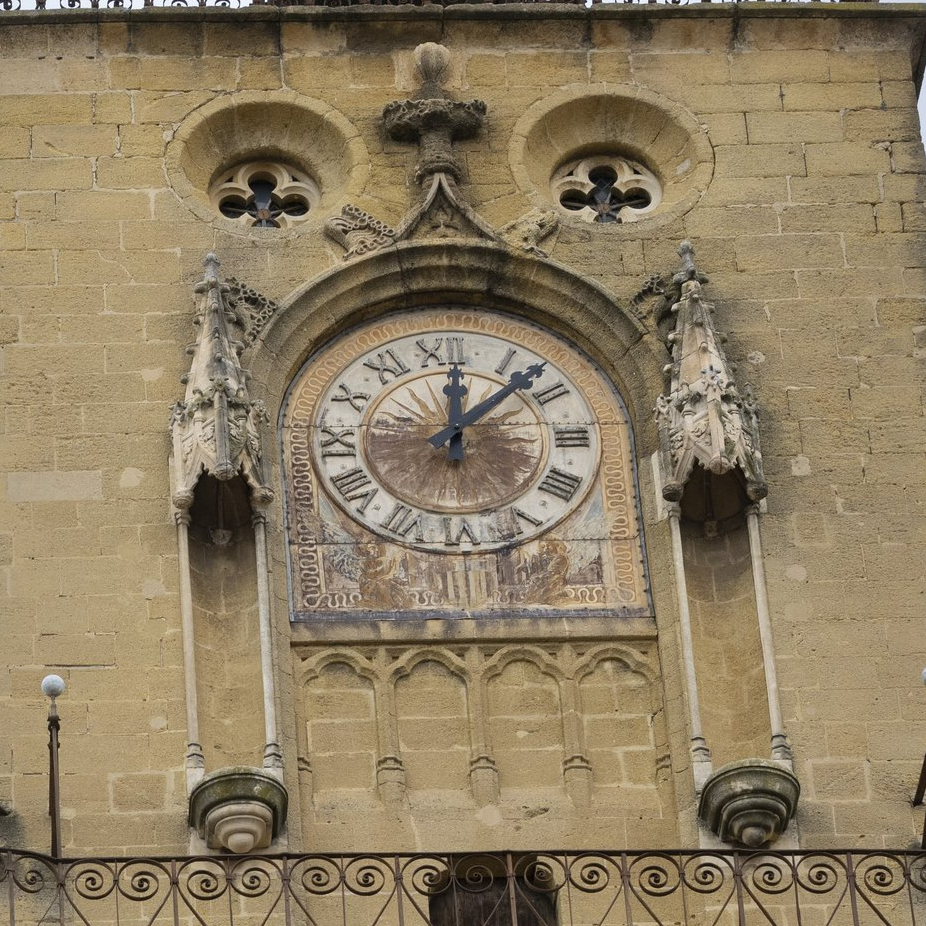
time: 12:08
